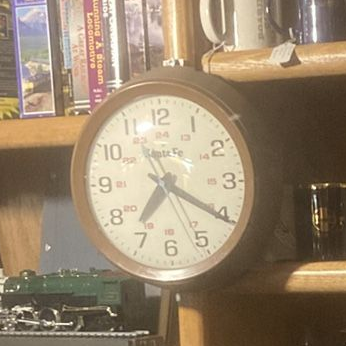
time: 7:20
